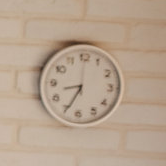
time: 8:34
